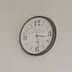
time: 3:28
